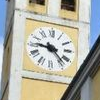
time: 9:22
